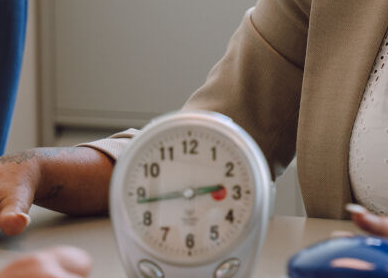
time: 2:43
